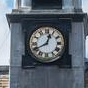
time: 12:40
